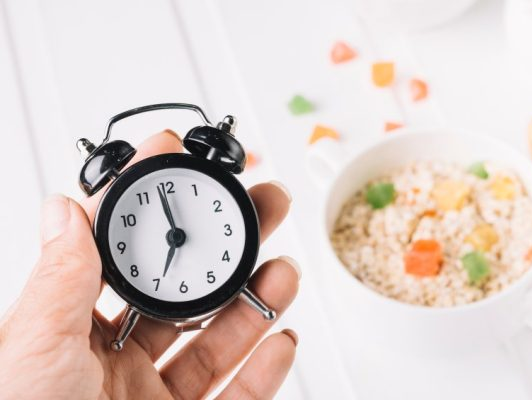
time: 6:58
